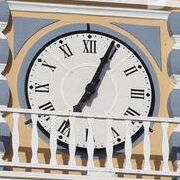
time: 7:04
